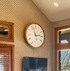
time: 2:56
